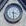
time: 3:29
